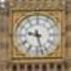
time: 9:27
